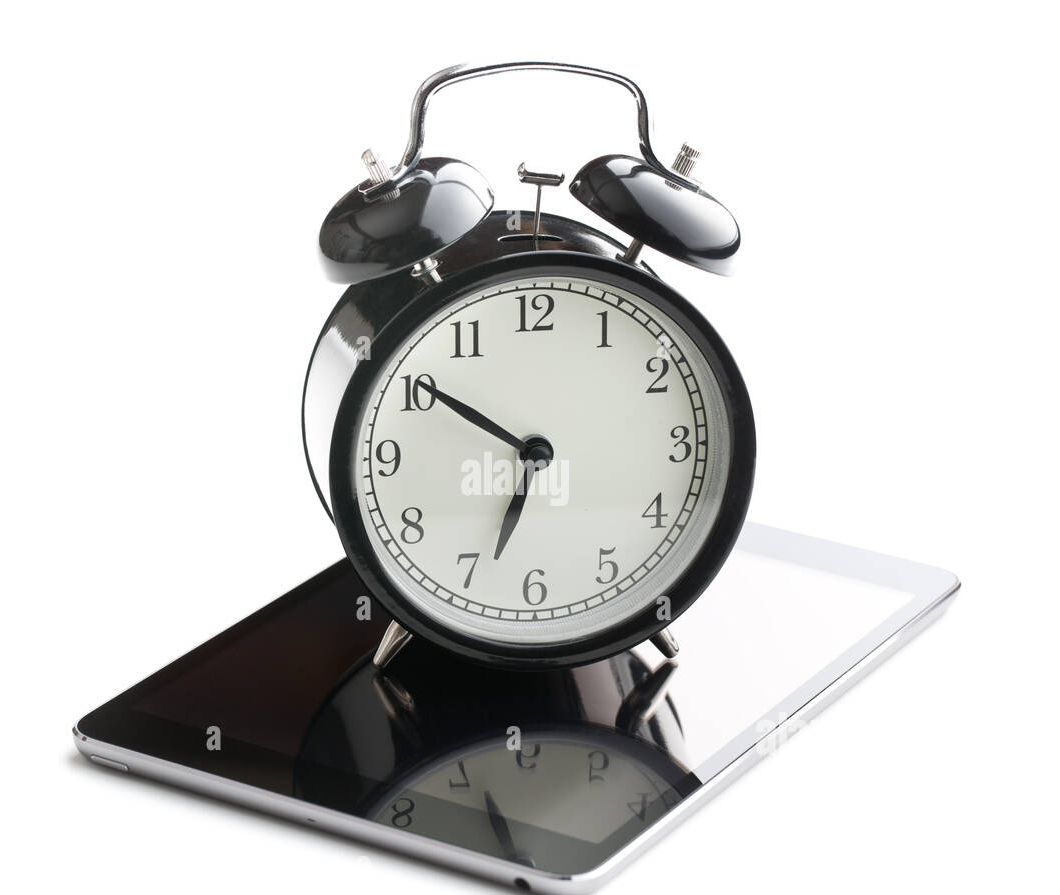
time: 6:50
